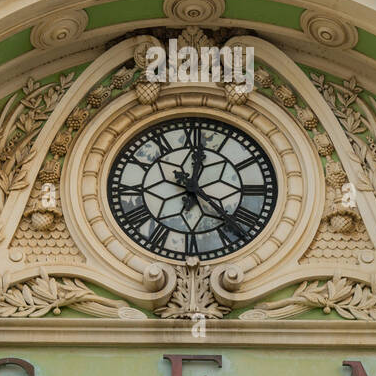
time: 12:22
